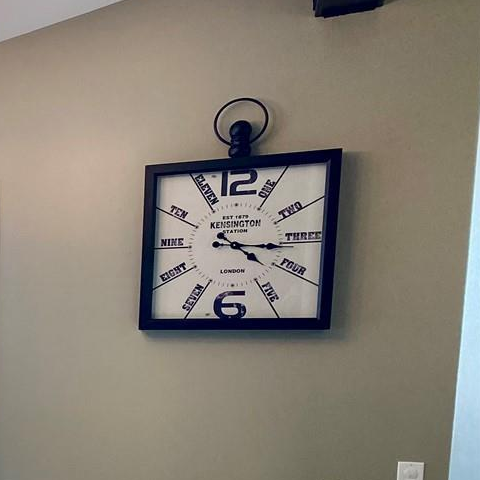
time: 4:16
